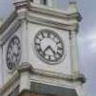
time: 4:36
